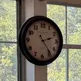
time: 2:24
